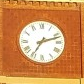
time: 7:11
